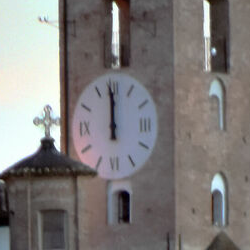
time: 11:58
